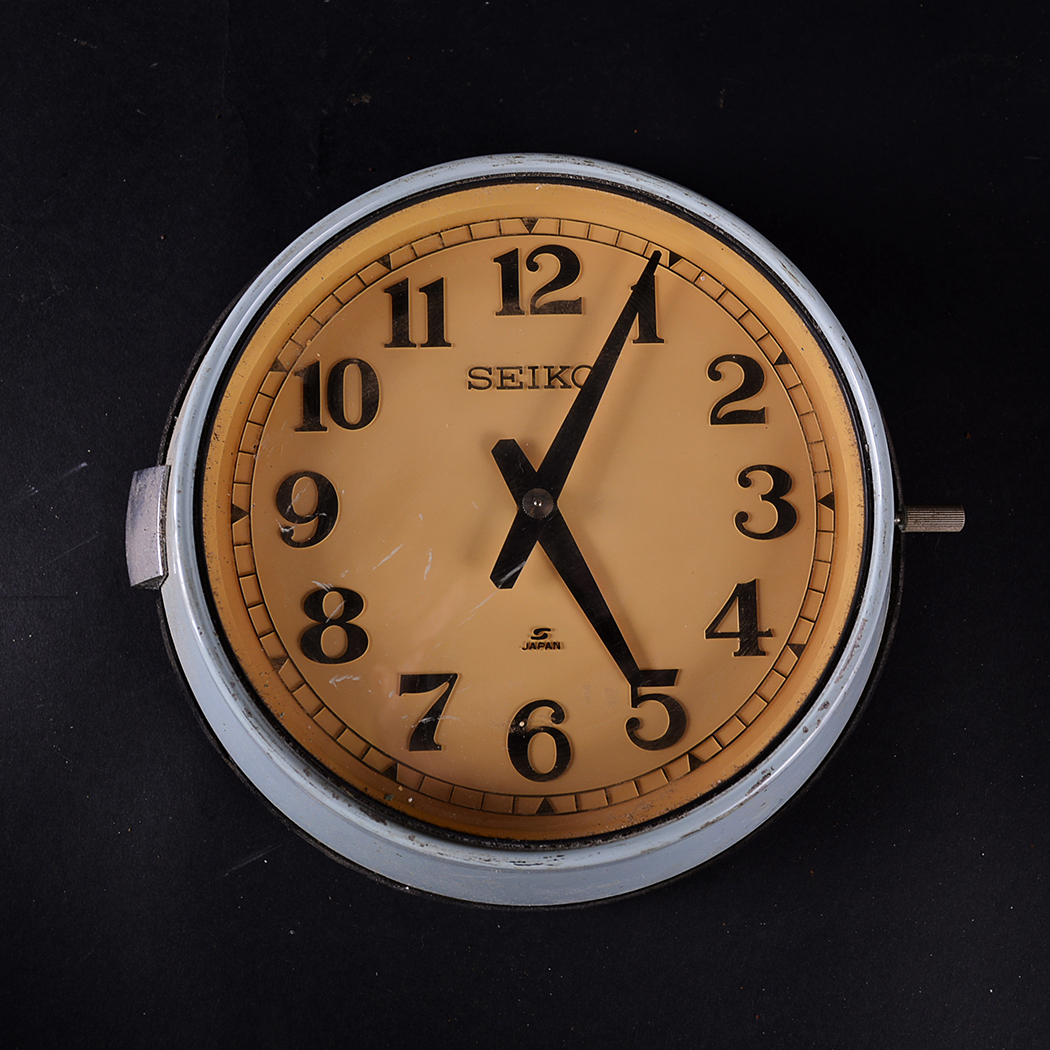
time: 5:04
